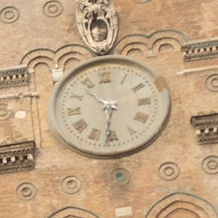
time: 10:31
